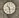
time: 10:28
